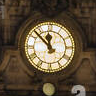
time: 11:52
